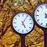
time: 5:05
